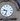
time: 9:33
